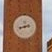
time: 2:42
